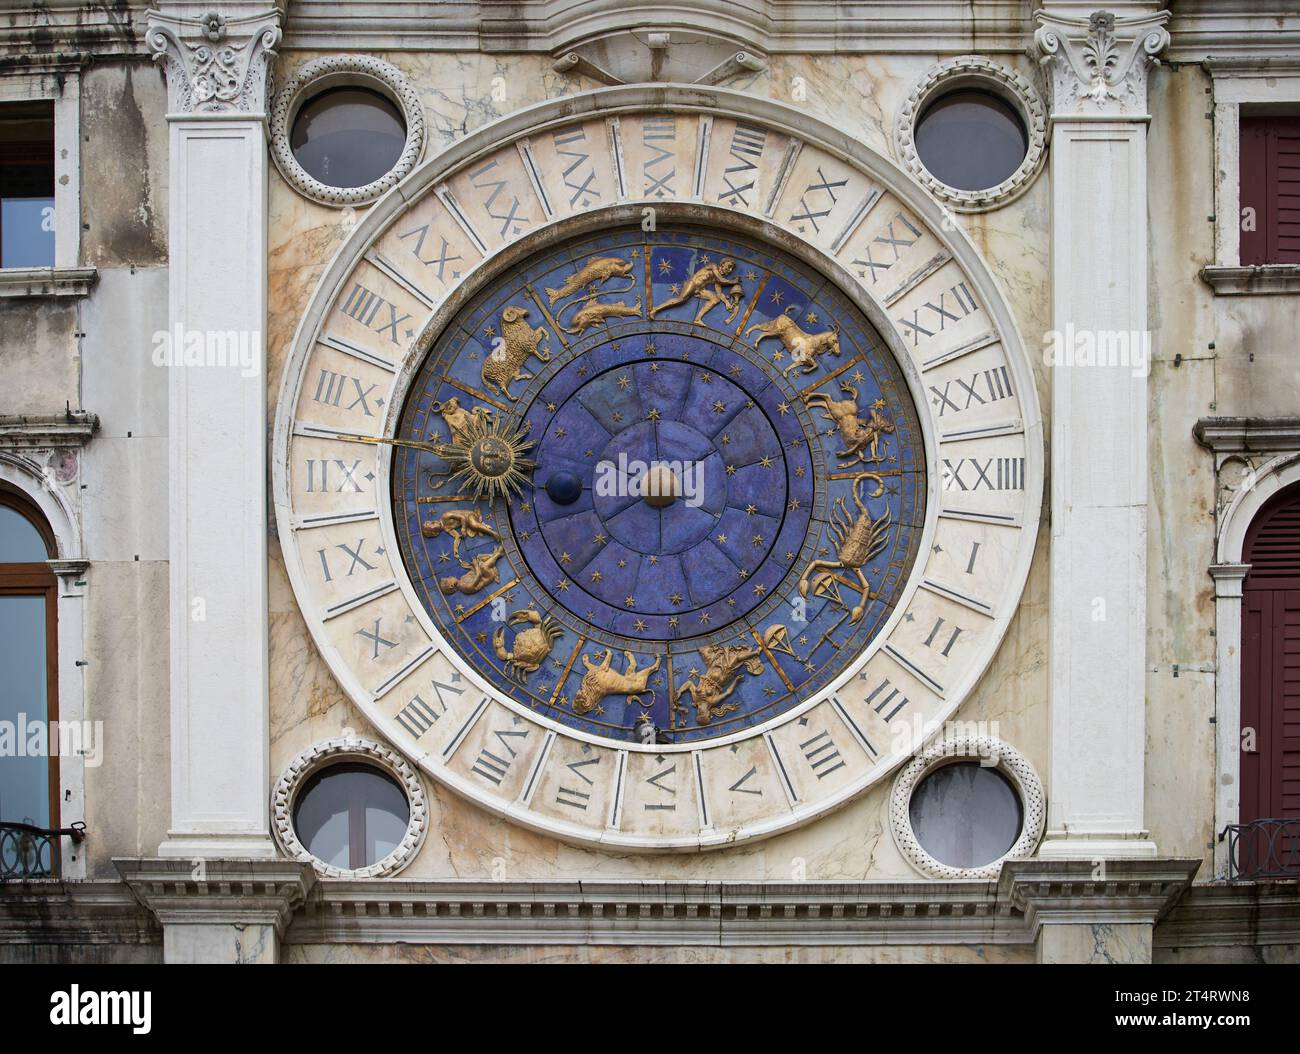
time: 8:43
